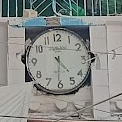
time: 4:30
